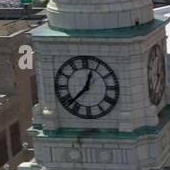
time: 12:37
